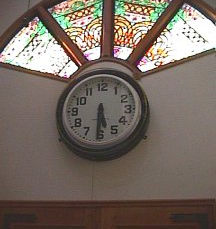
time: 5:30
